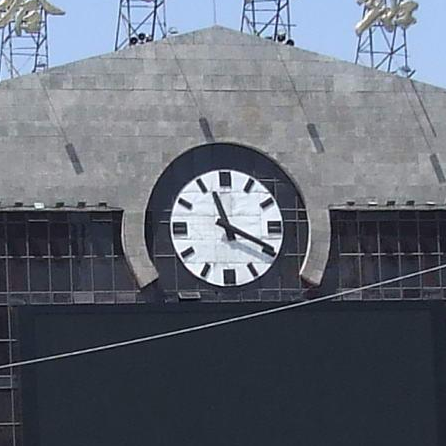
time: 11:19
